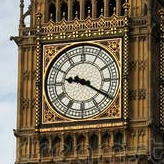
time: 9:20
